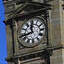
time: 11:42
